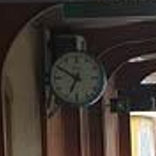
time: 6:50
